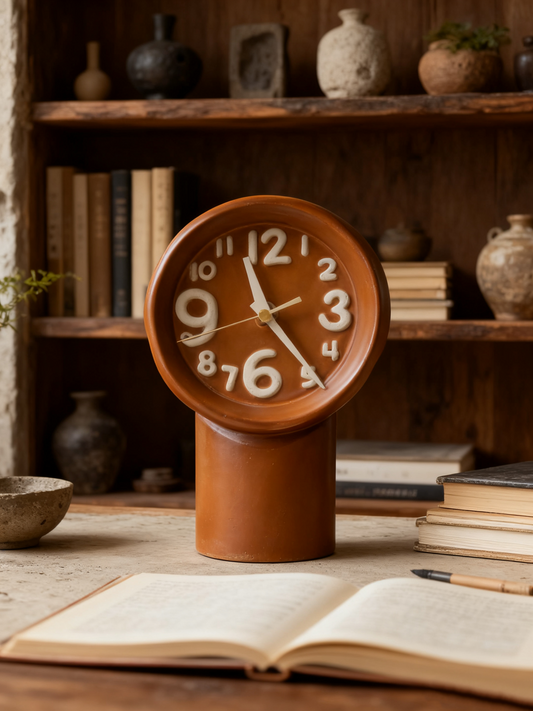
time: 11:23
